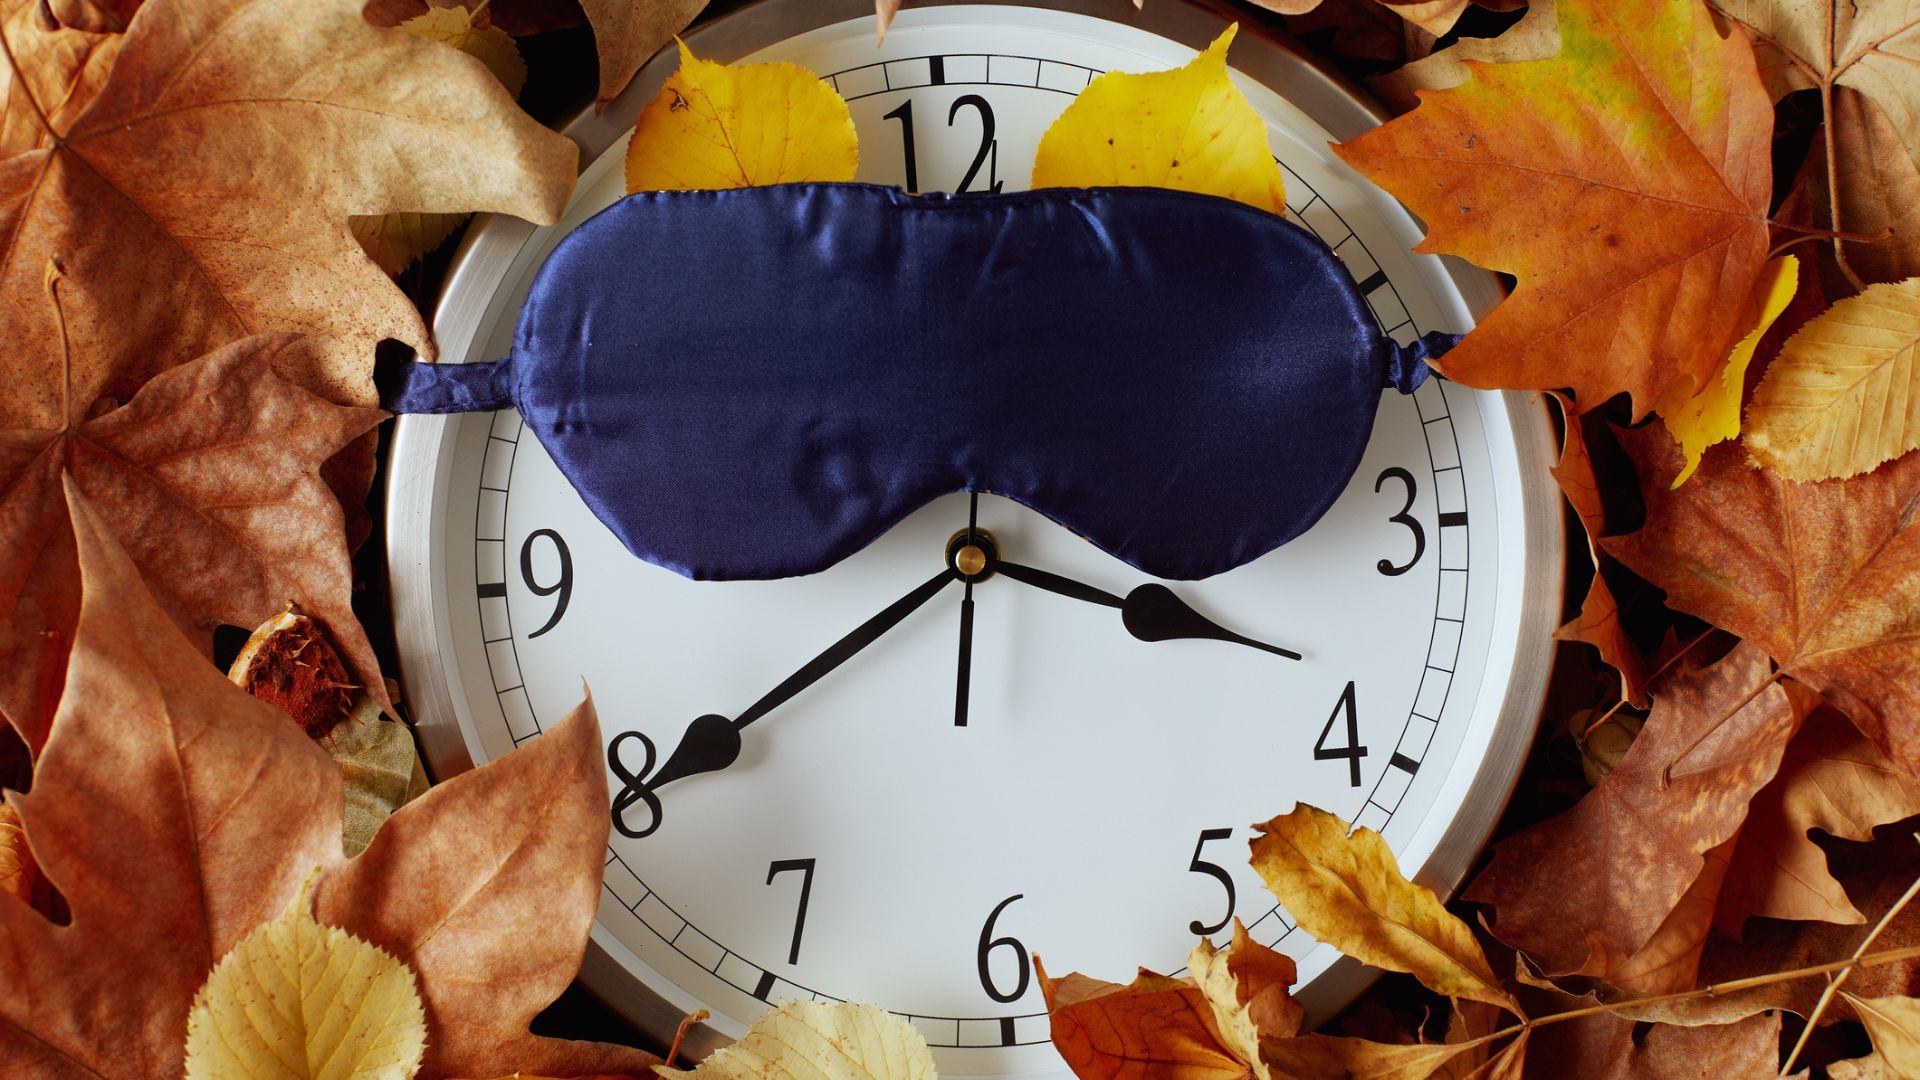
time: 3:39
